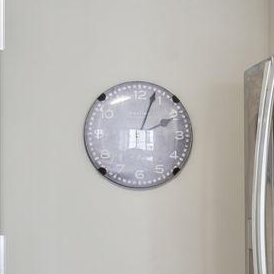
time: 2:03
